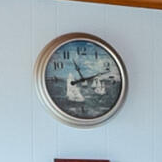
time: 11:11
